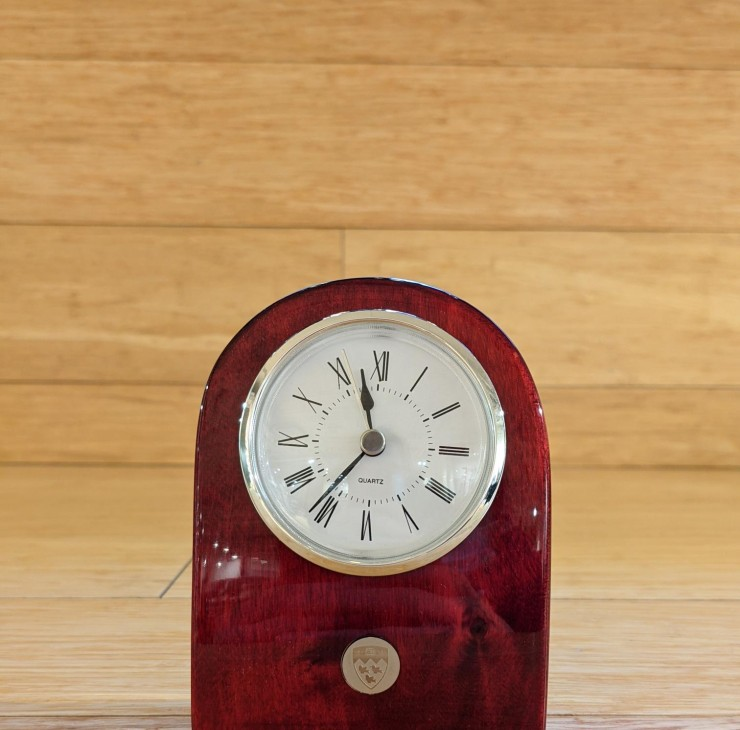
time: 11:36
